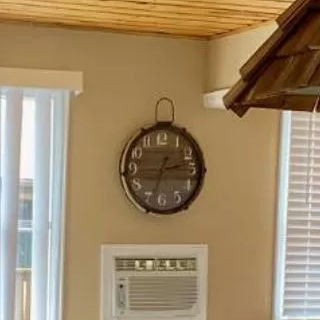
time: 2:33
